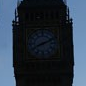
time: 8:11
